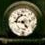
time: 4:46
